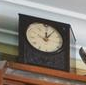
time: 12:05
